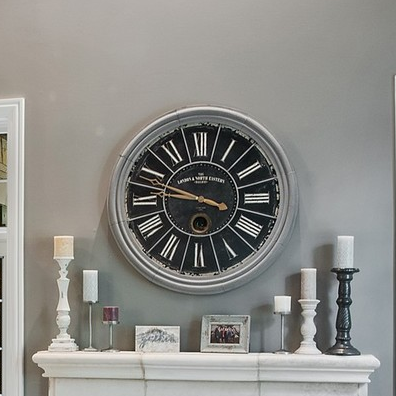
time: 3:47
